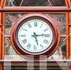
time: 5:14
